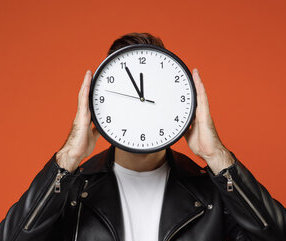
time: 11:55
